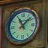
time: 11:08
